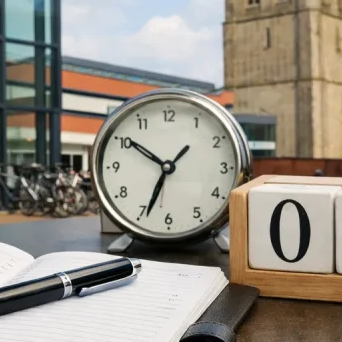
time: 6:50
